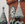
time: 8:32
